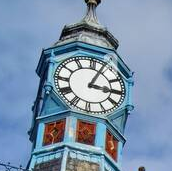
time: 3:04
